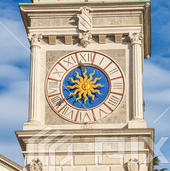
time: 5:57
